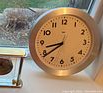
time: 8:38
